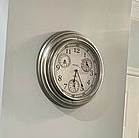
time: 6:24
